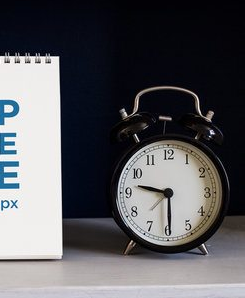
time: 9:29
